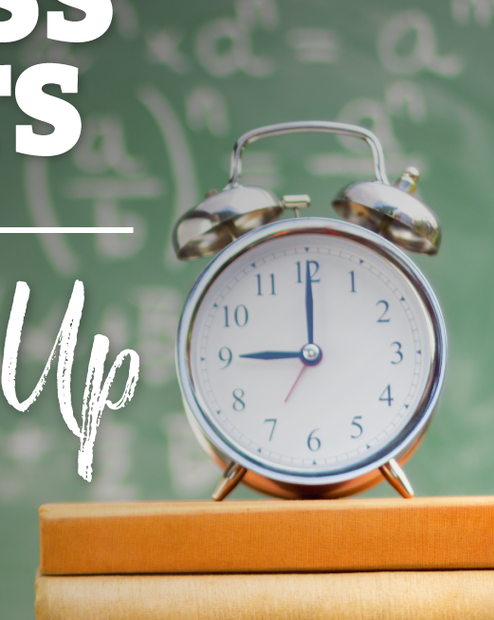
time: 9:00
